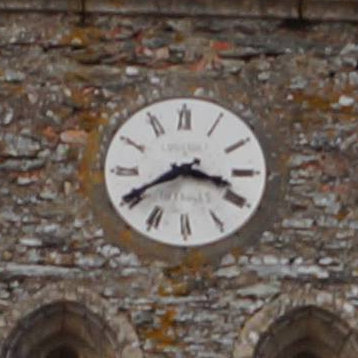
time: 3:40
